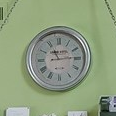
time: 11:14
